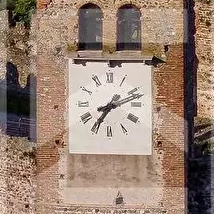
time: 7:12
